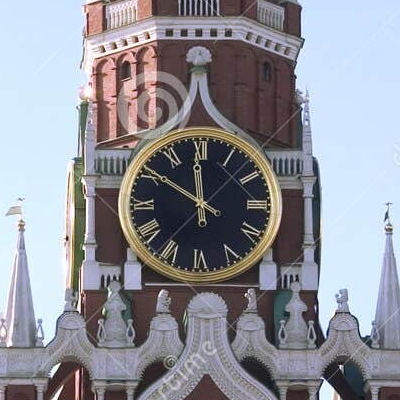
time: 11:50
